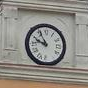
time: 9:55
